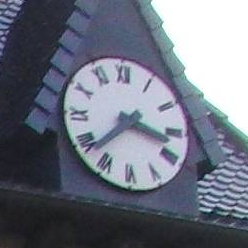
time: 3:37
